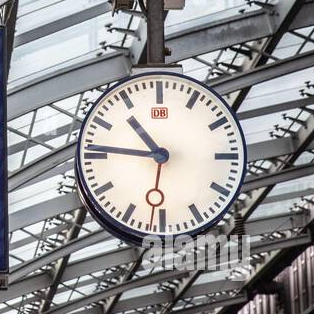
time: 10:46
